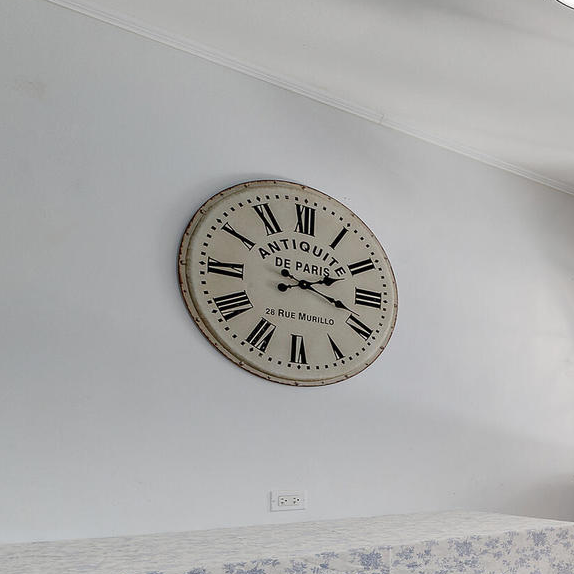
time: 2:18
